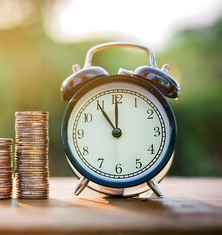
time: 11:00
